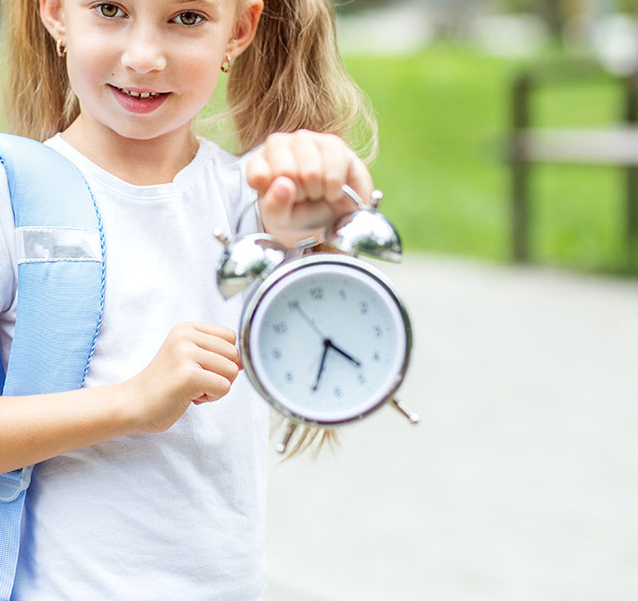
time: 4:34
